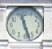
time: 11:27
